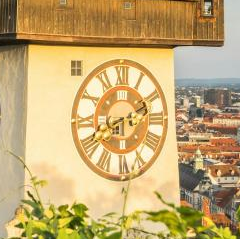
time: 8:11
